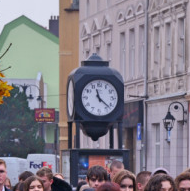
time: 11:21
